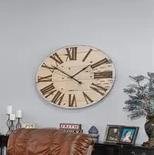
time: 1:51
